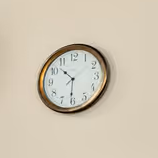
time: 10:30
